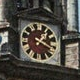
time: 1:18
